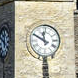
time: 11:49
